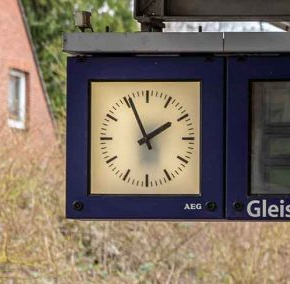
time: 1:55
